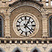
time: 1:22
